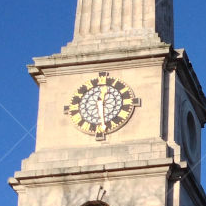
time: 12:28
